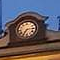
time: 7:14
